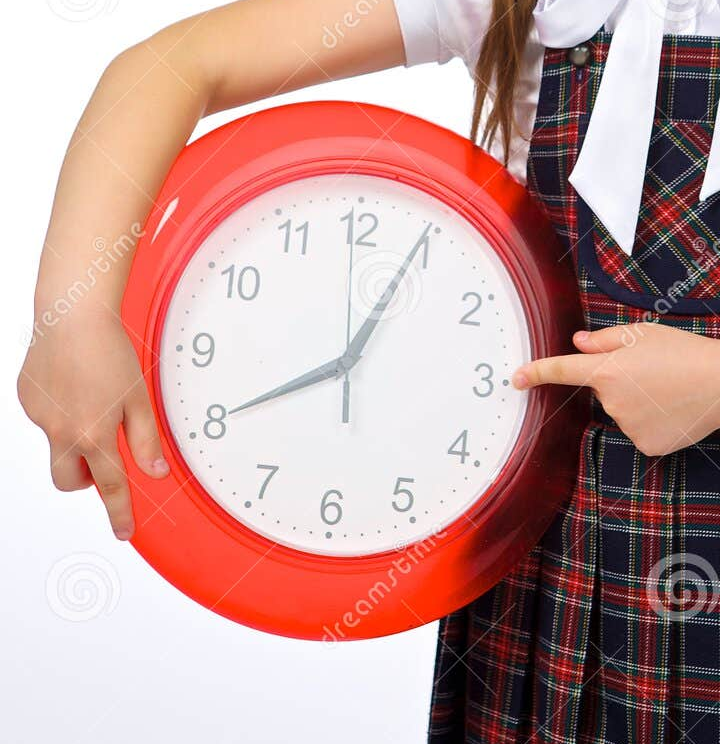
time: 8:04
